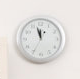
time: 11:57
